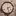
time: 2:27
